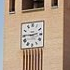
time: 2:45
